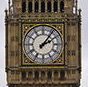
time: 2:06
